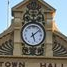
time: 5:08
